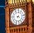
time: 4:12
